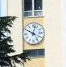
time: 10:02
